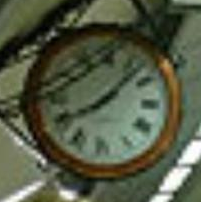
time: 8:07
